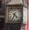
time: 4:34
